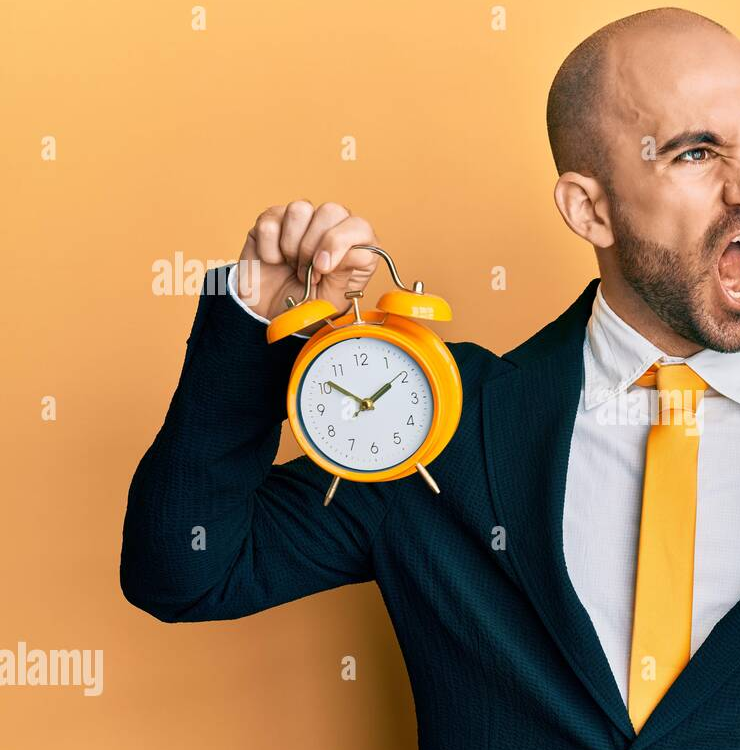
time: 1:50
